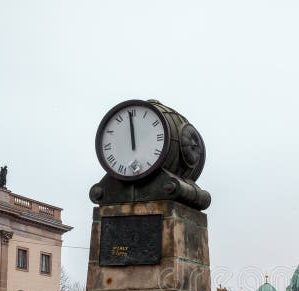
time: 11:59
